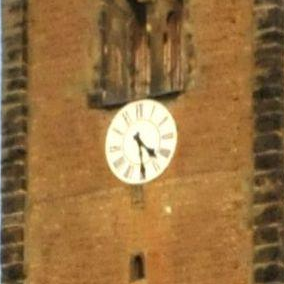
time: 4:29
